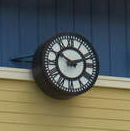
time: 10:12
